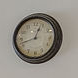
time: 12:42
